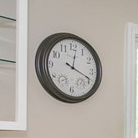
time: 12:18
